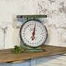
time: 6:01
